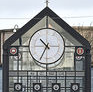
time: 10:34
